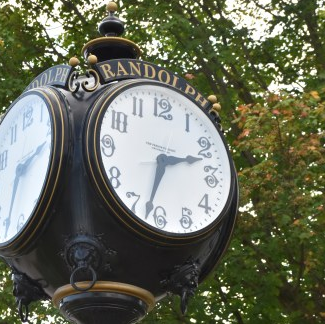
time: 2:32
